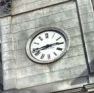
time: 2:43
